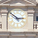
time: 2:52
